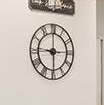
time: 5:59
